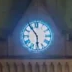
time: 5:54
